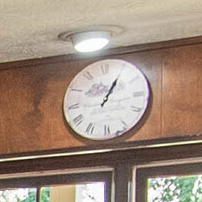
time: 1:05
